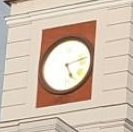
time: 5:12
